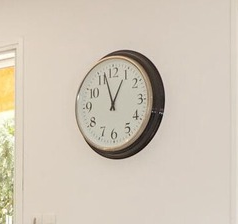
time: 12:57
